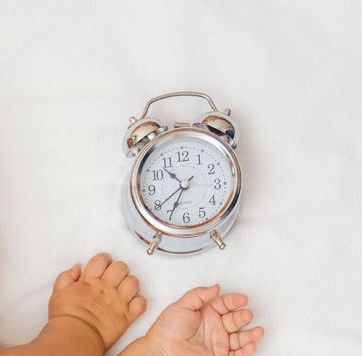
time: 10:39
